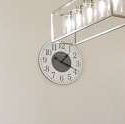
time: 1:18
